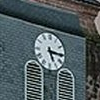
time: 5:15
